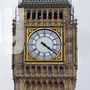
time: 4:21
